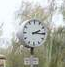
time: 2:15
